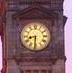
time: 8:31
